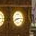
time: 8:14
